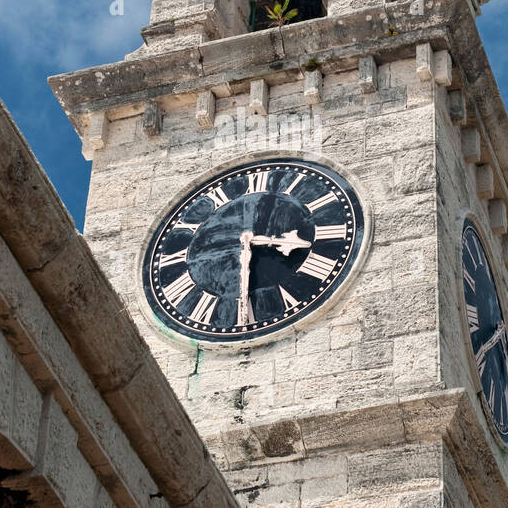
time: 3:29
